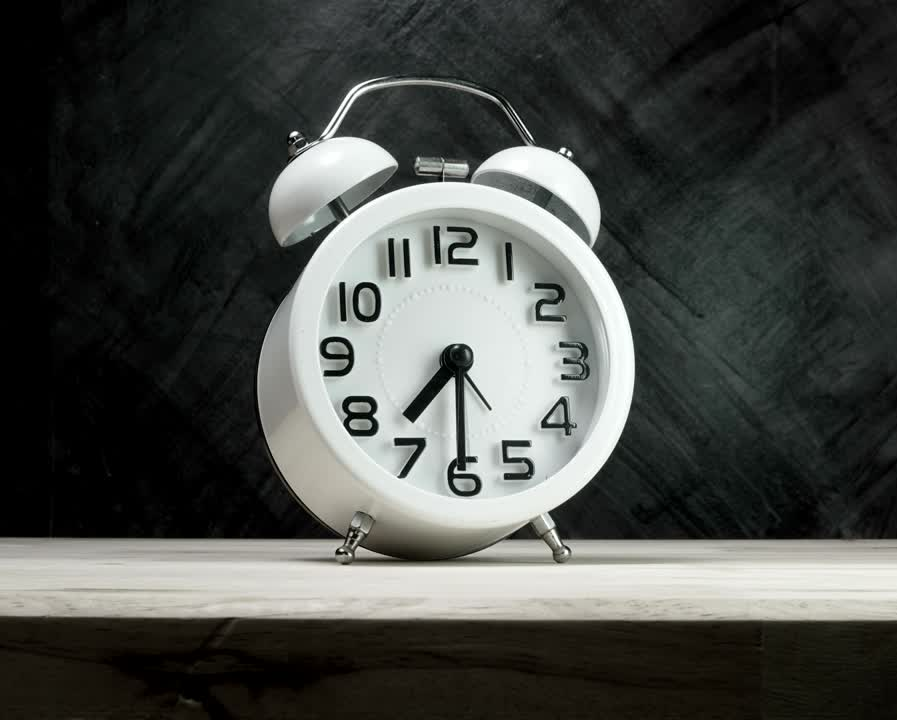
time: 7:30
